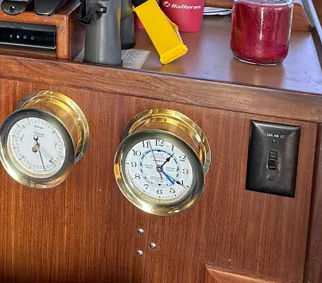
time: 1:21
